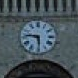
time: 5:46
